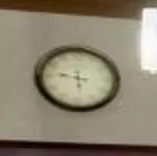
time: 5:46
